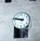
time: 9:47
